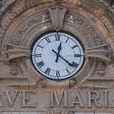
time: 12:21
